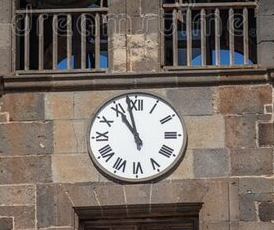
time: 10:58
